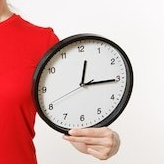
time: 12:15
